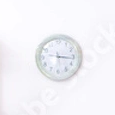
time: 3:16
